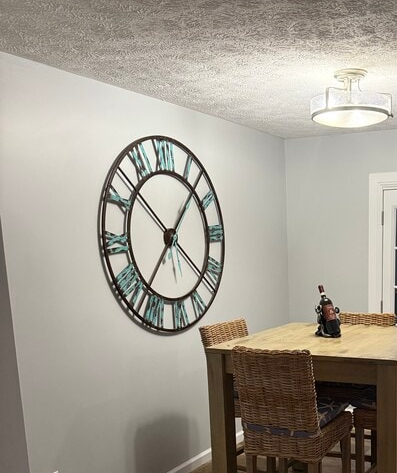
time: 1:36
